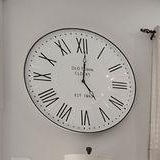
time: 5:00
